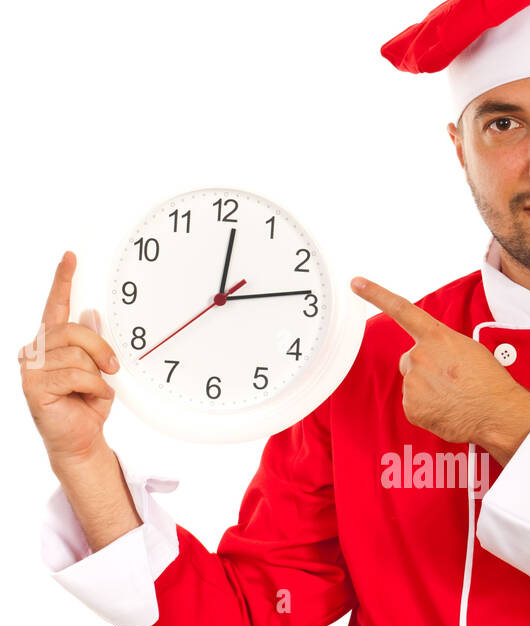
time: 12:13
